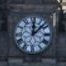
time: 12:07
